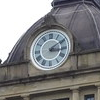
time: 3:09
